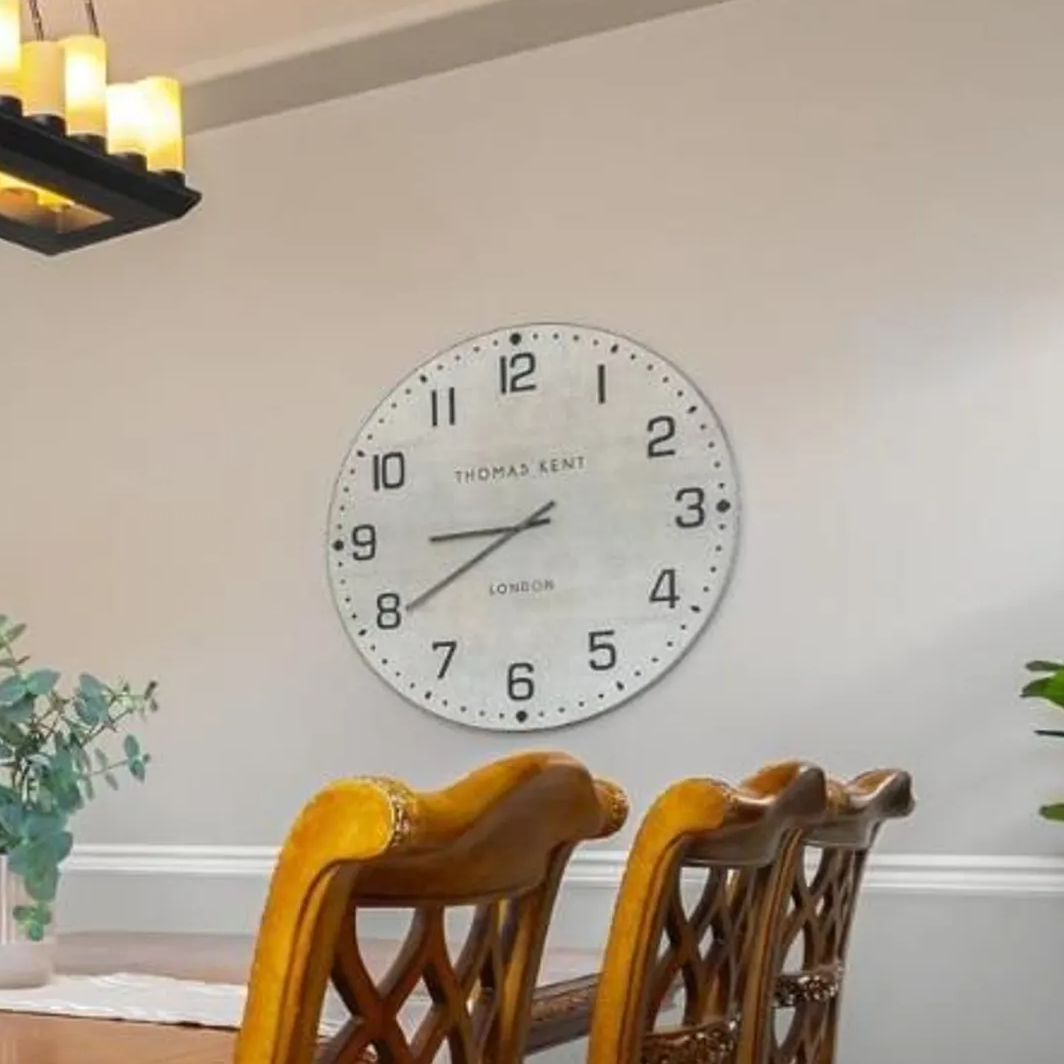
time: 8:39
